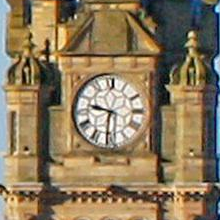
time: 9:31
